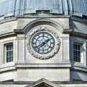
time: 1:39
